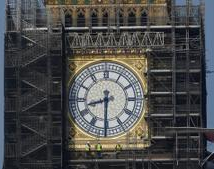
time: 8:30
